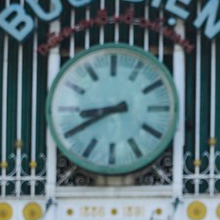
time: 8:40
